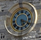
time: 5:18
